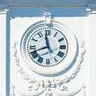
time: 11:41
